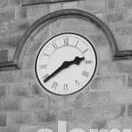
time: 2:39
